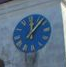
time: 12:07
